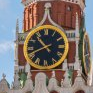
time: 10:41
